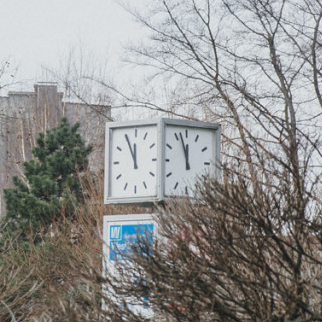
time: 11:55
